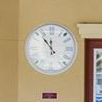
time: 11:53
